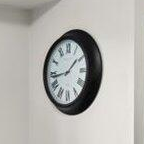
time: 1:43
